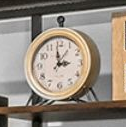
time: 2:58
